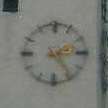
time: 2:23
